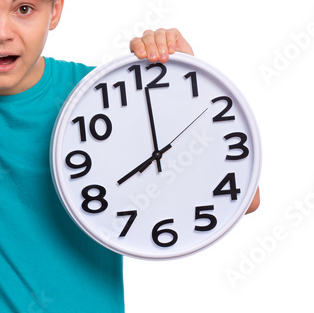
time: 7:59
